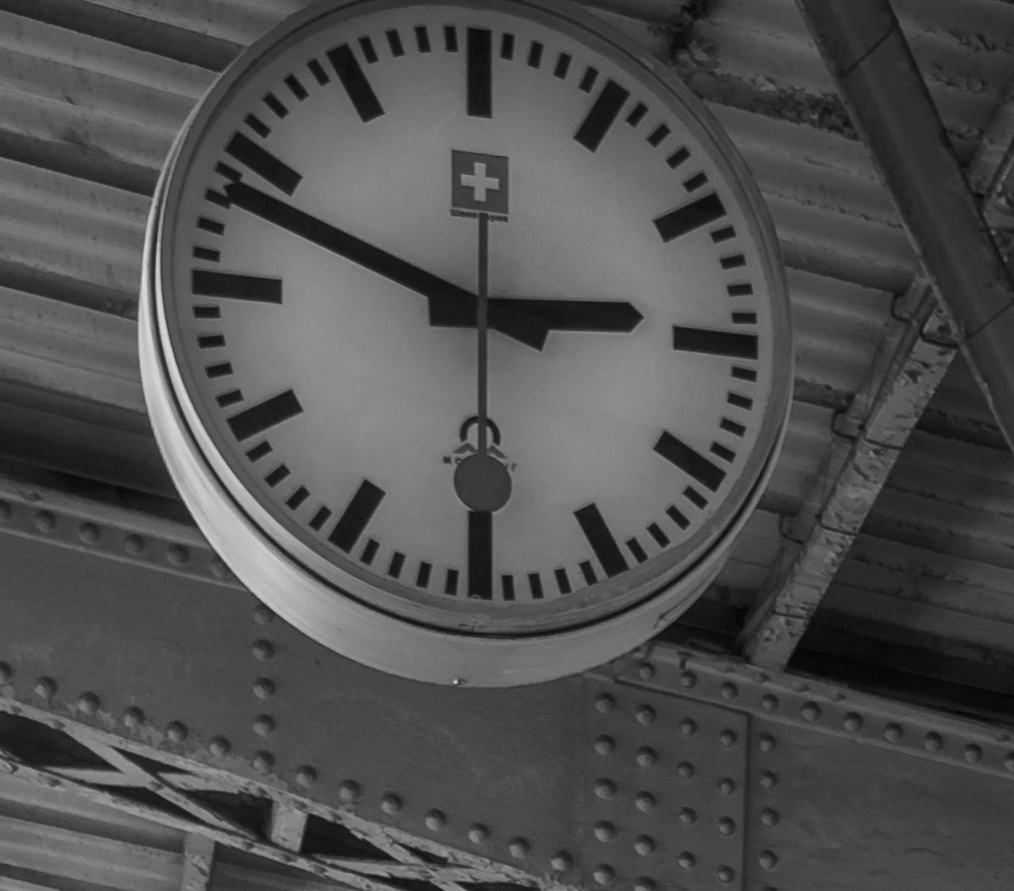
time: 2:48
